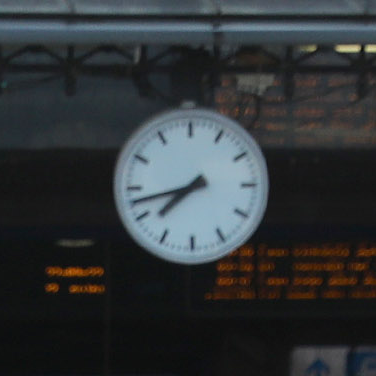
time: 7:42
